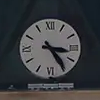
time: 3:24
